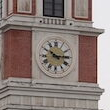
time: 10:14
